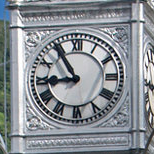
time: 8:54
